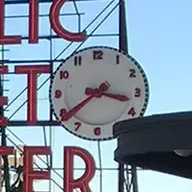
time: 3:39
